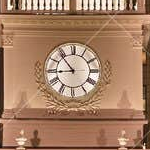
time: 8:53
